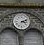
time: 2:16
